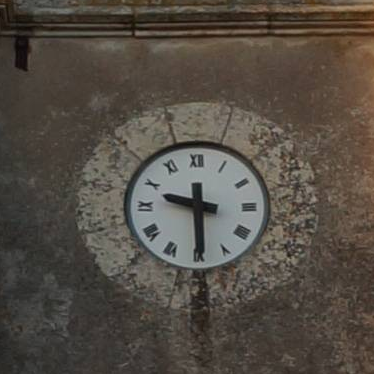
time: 9:29
